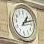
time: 1:11
